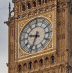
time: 9:34
